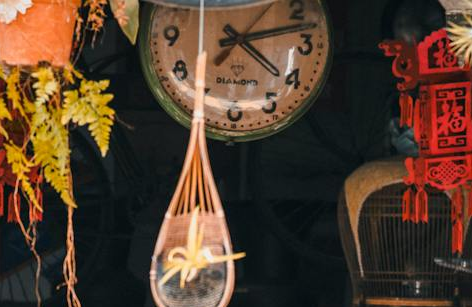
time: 4:12
